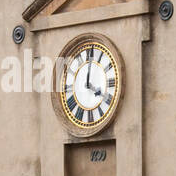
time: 4:00
